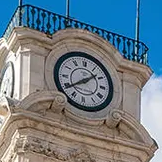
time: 1:39
